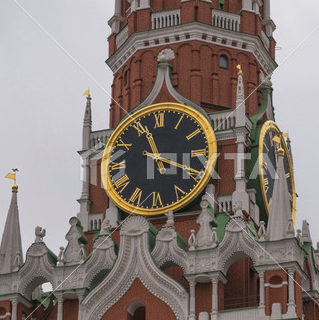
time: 11:18
